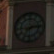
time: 7:13
